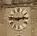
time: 2:46
